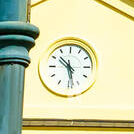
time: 10:28
